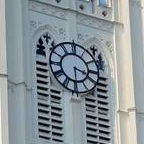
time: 3:29
